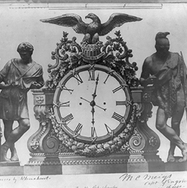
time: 6:01
